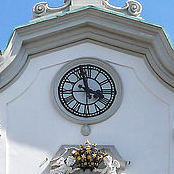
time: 3:57
